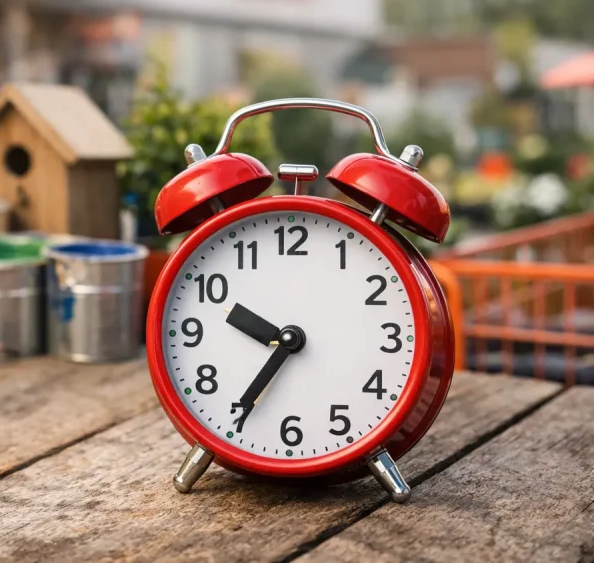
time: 9:35
